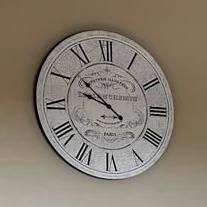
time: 9:51
